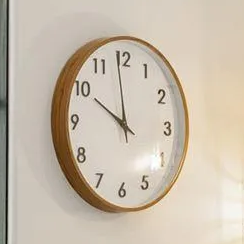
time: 9:58
